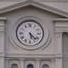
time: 5:22
